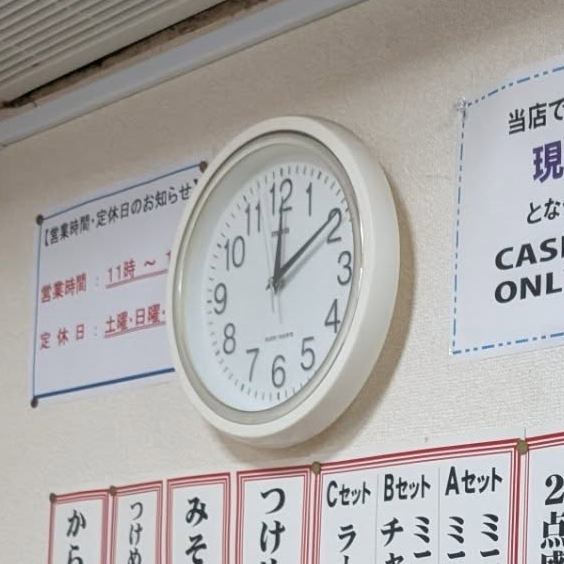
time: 12:09
